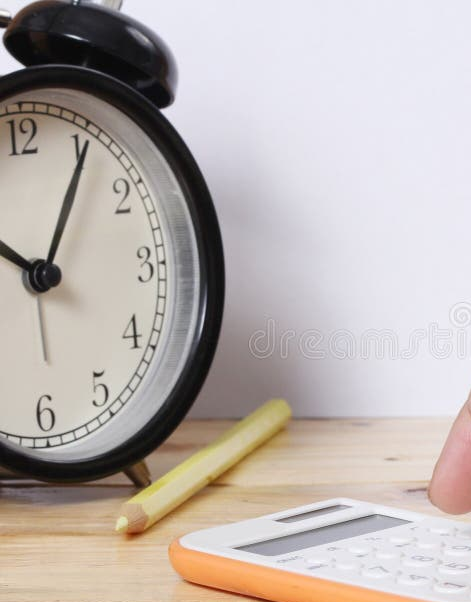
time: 10:05
